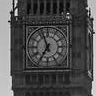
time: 6:56
